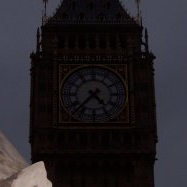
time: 4:37
